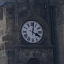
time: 4:02
